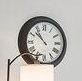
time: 10:52
